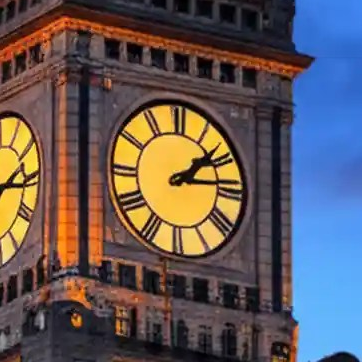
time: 1:13
